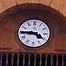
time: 3:44
